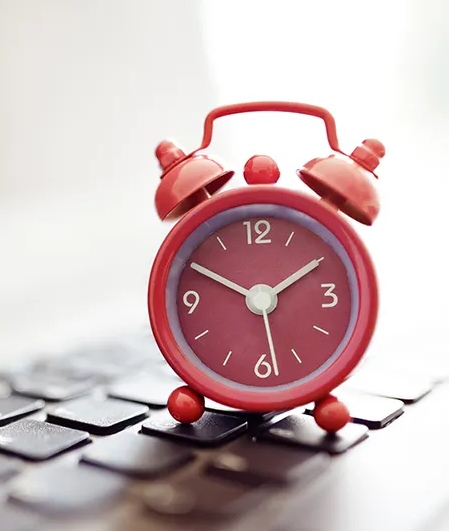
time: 1:49
